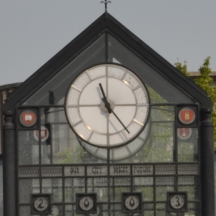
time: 11:23
